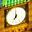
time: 7:00
